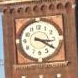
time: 3:20
